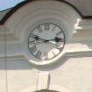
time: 2:47
